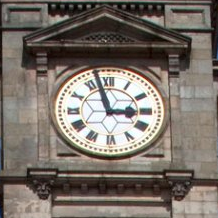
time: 2:57
